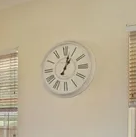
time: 1:02
